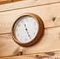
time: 11:25
